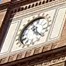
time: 11:21
